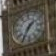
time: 1:35
